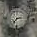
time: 2:36
